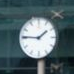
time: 1:45
